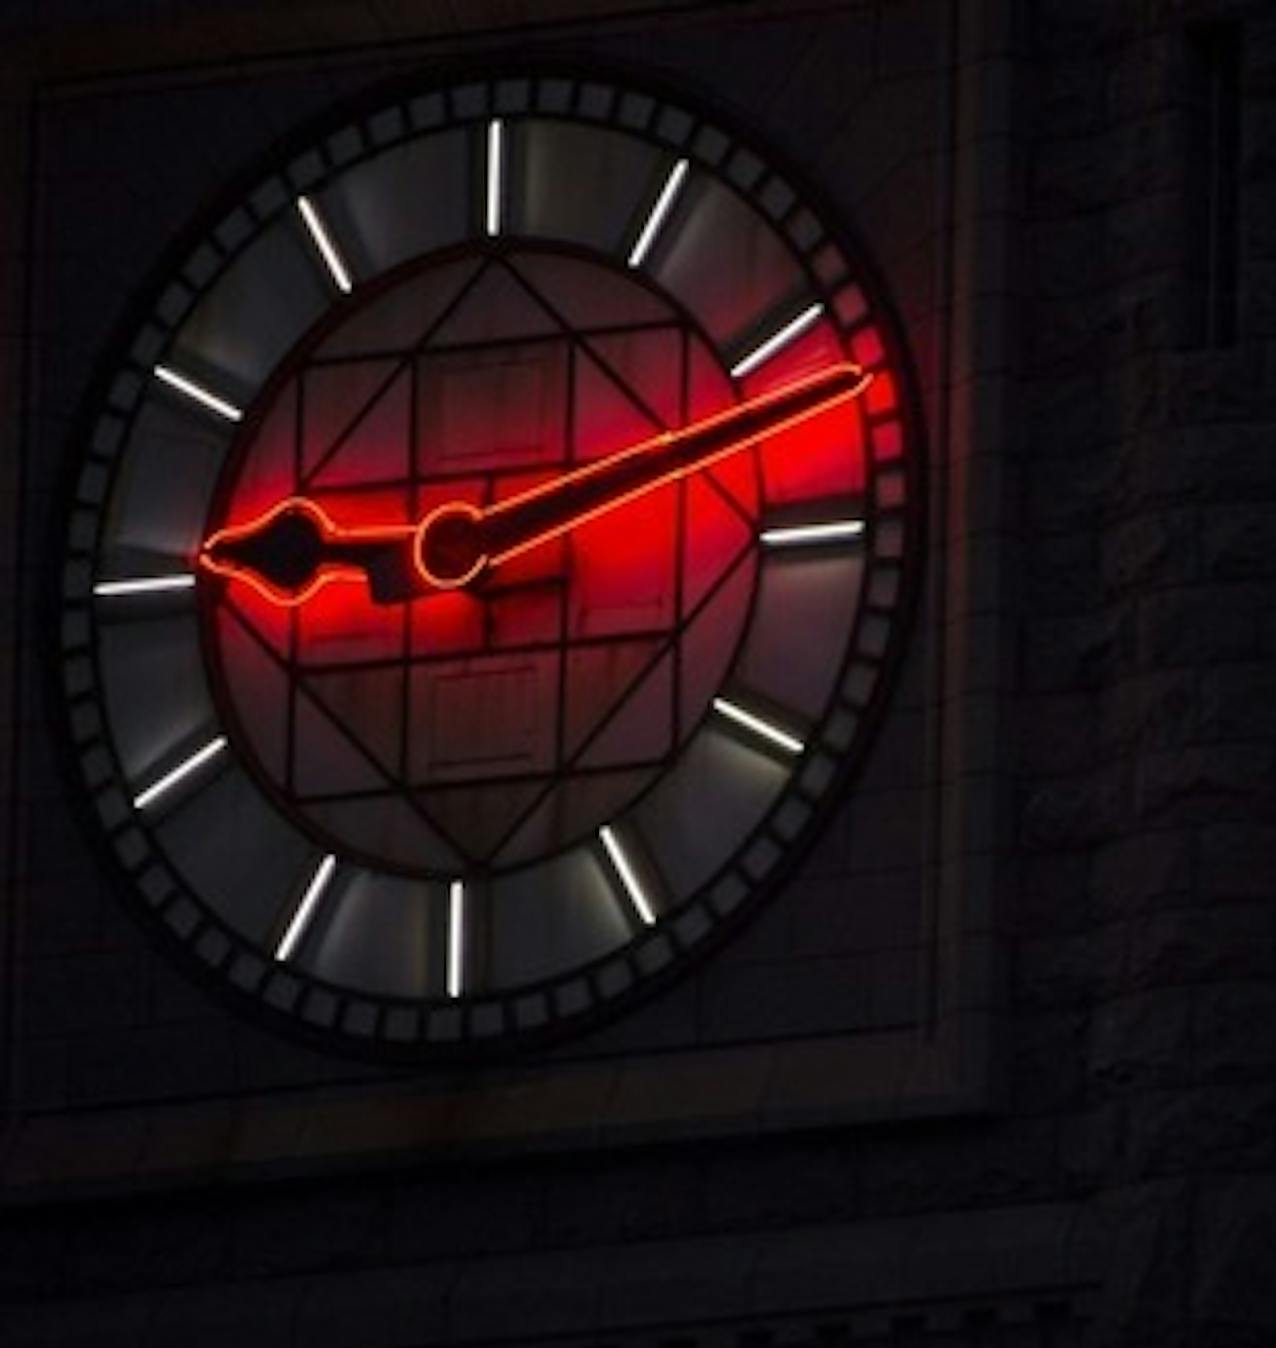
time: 9:11
